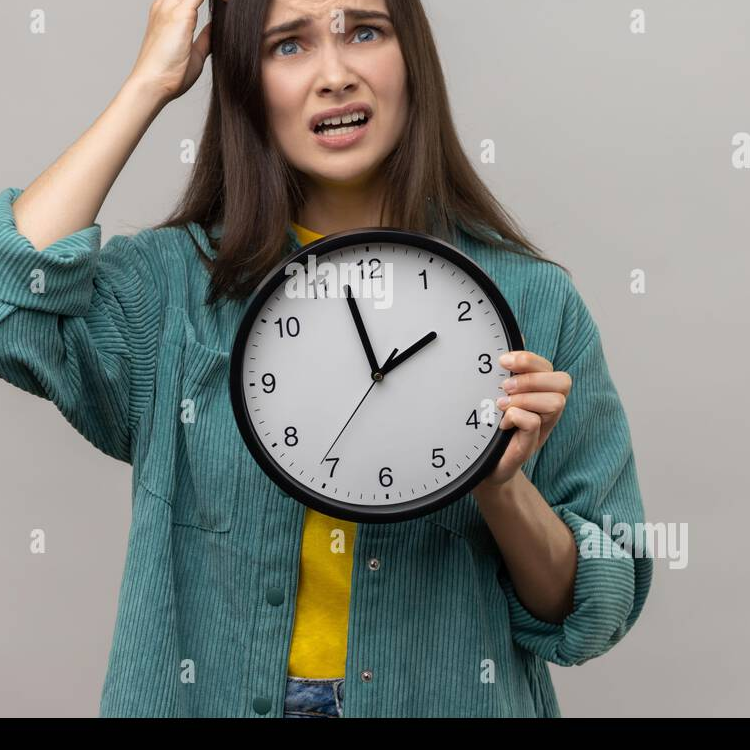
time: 1:57
